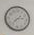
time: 2:37
